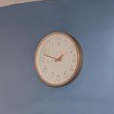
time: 1:47
